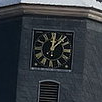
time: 12:07
